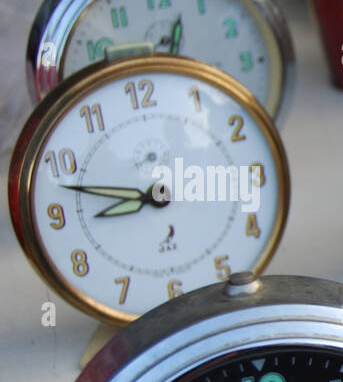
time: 8:47
